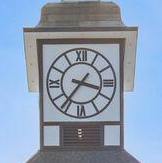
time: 3:36
